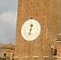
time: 12:32
